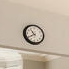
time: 10:39
